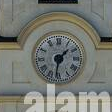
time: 1:32
